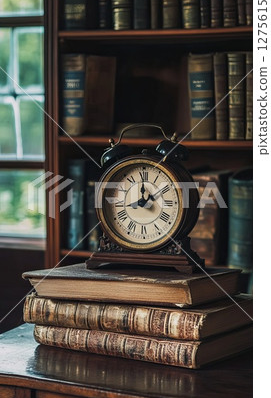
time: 2:00
